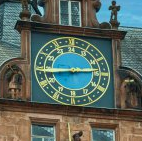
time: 2:44
